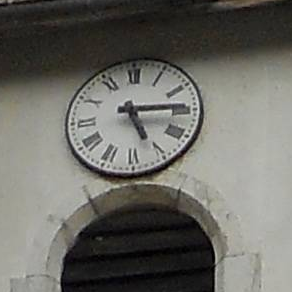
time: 5:14
